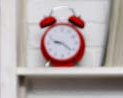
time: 9:21
